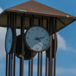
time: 2:21
